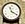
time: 11:19
